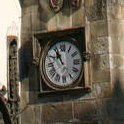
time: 10:55
